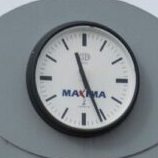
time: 11:25
